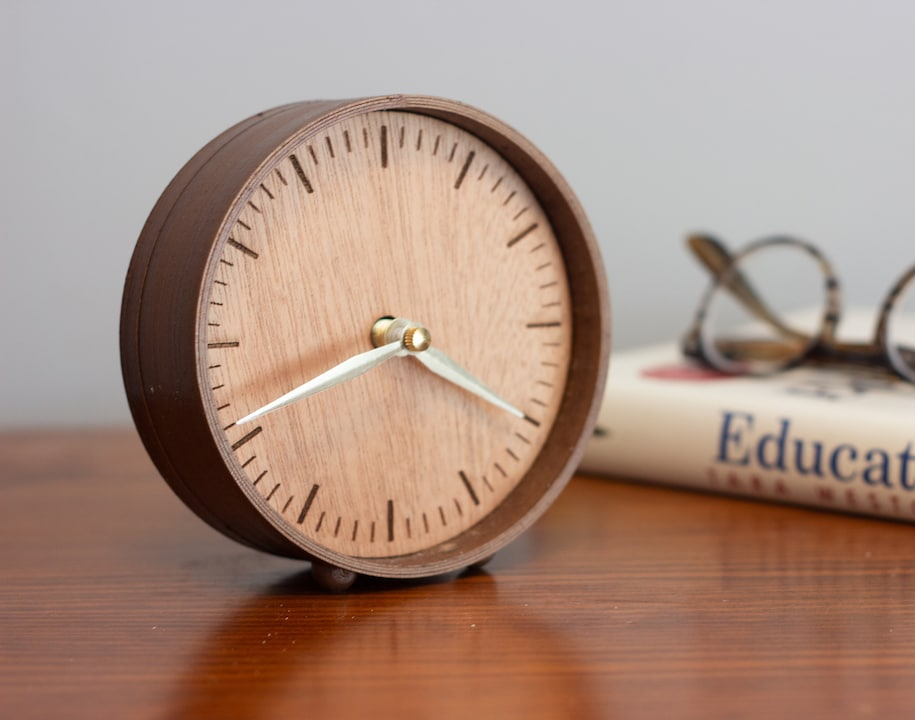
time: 8:19
